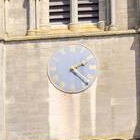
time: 2:21
